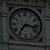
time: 7:17
